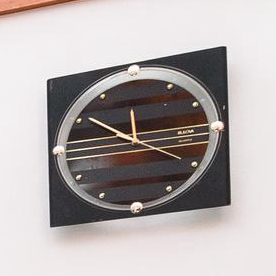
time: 10:20
